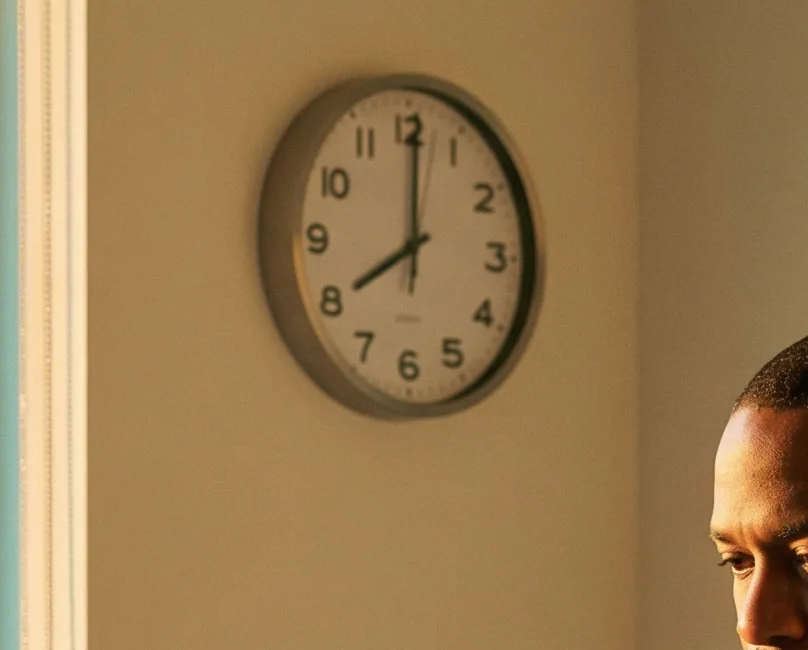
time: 8:00
